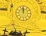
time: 11:58
